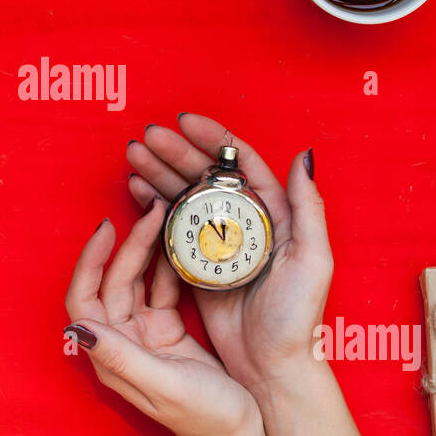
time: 11:52
